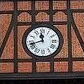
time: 11:42
